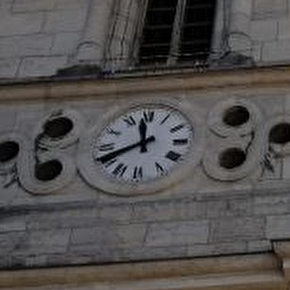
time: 11:40
